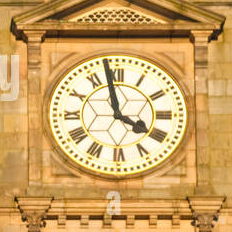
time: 3:58
